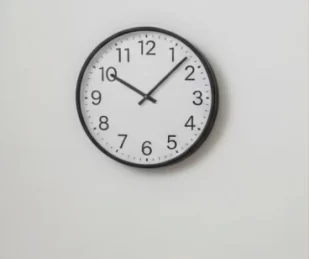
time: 10:07
